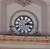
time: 2:13
